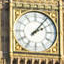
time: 2:06
